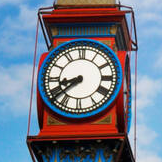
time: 8:38
